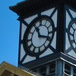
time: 11:18
